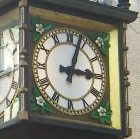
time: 3:02
